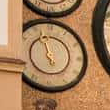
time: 4:57
